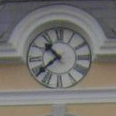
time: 10:38
